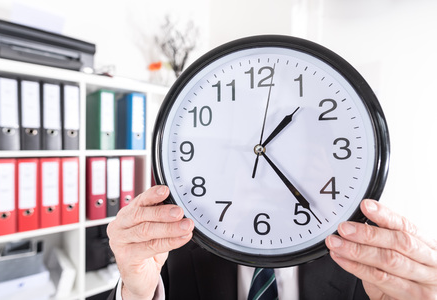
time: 1:23
